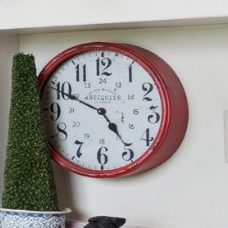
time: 4:48
